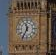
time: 11:34
